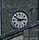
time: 2:50
